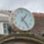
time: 1:23
